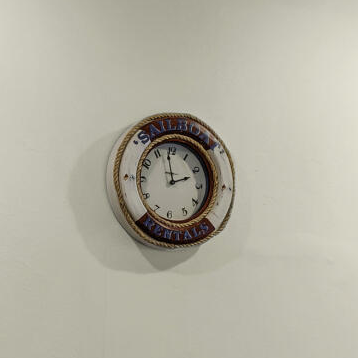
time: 1:58
